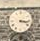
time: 3:17
